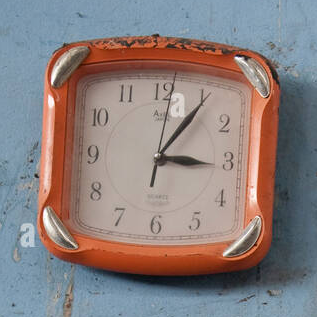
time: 3:05
